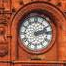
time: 2:13
